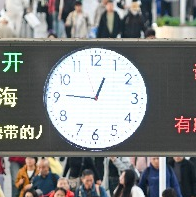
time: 12:45
